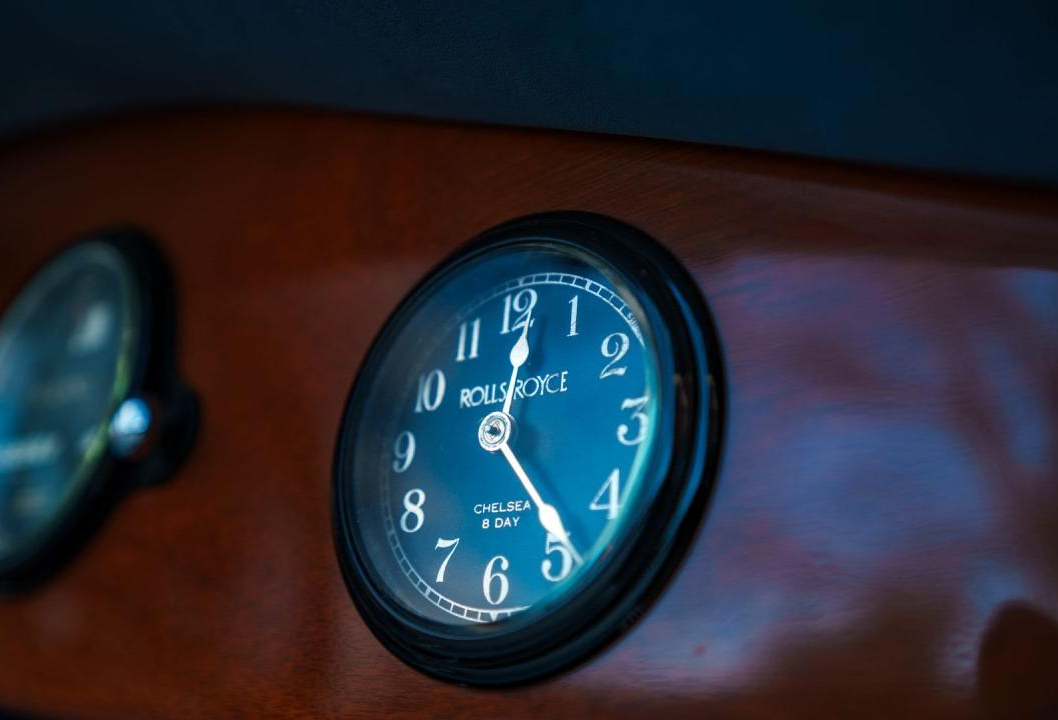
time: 12:23
